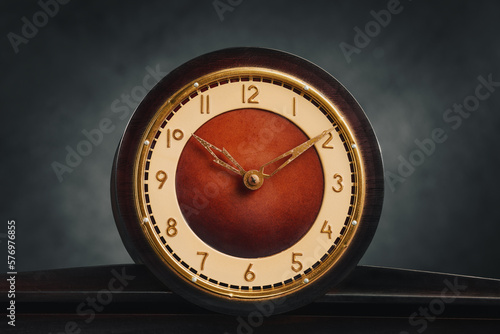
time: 10:09
